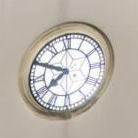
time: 7:49
